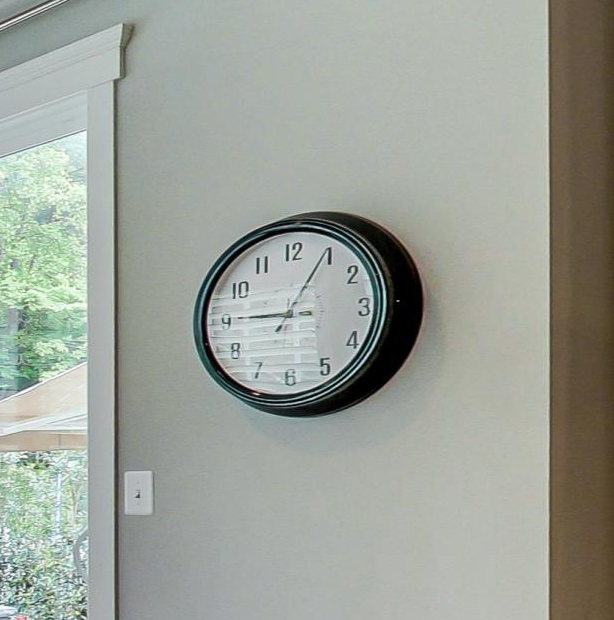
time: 9:04
